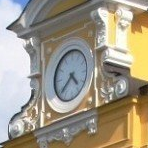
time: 4:38
